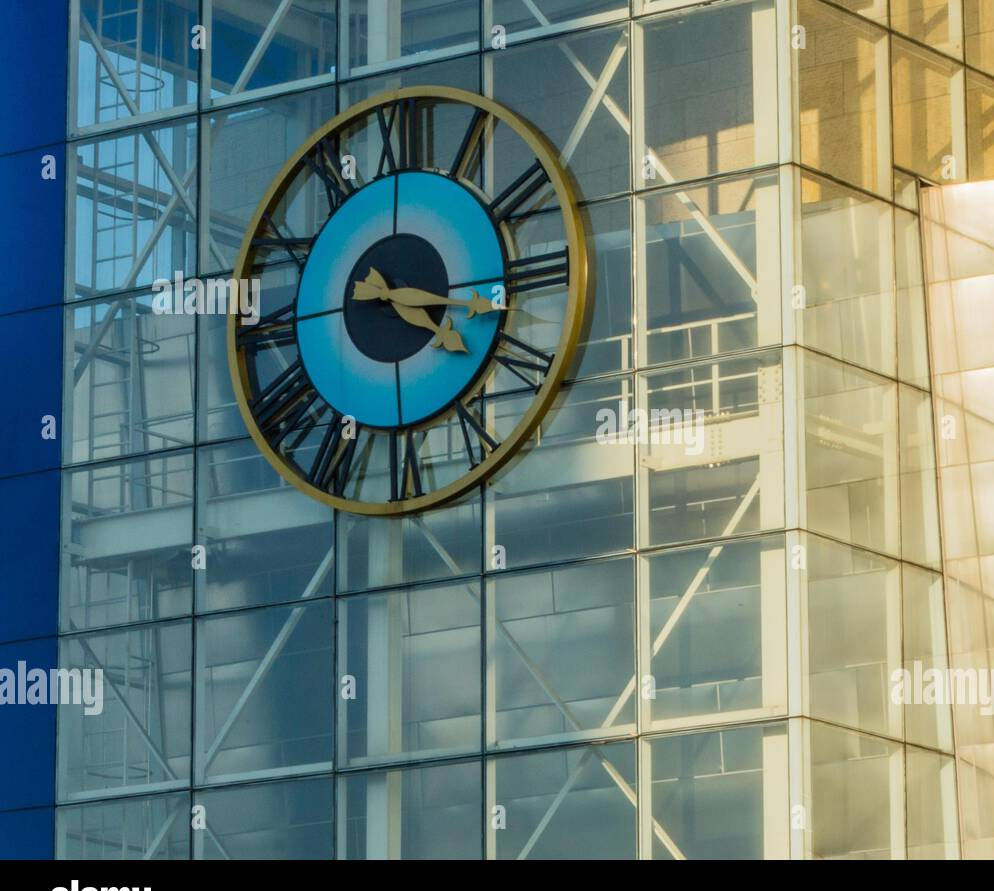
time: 4:16
